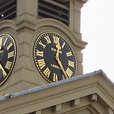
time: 12:24
